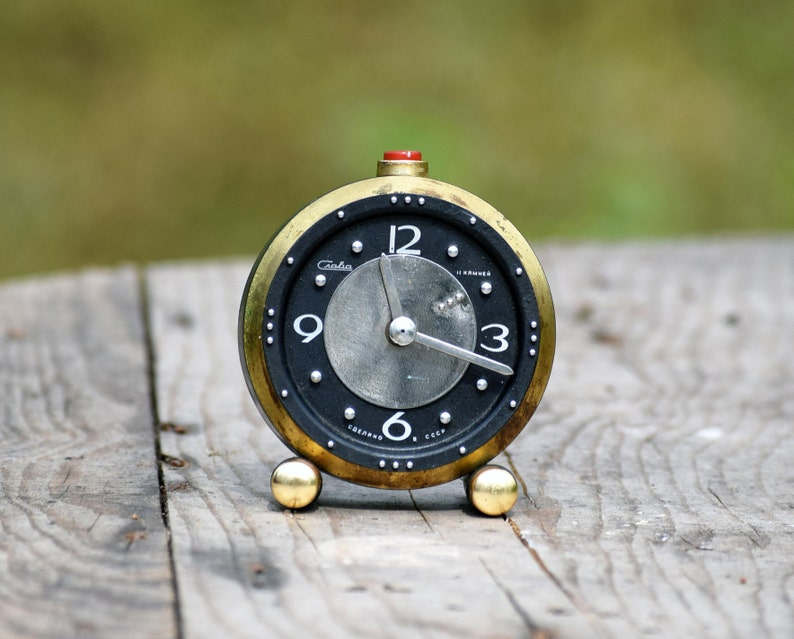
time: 11:18
